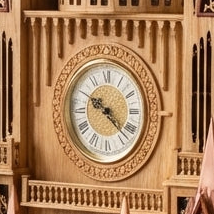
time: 10:22
